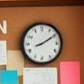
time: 8:09
